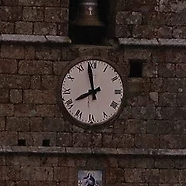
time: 7:58
